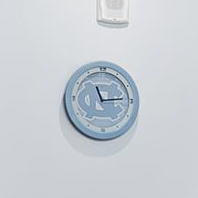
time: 11:13
